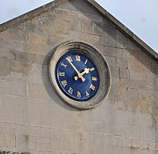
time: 1:53
